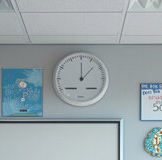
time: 12:07
